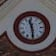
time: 11:29
